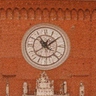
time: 11:09
